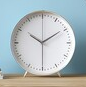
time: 10:09
